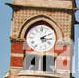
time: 2:16
